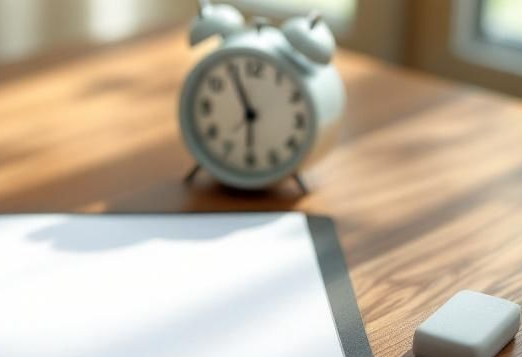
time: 5:55
